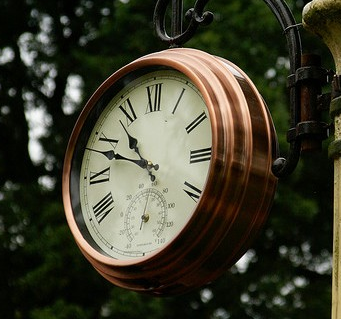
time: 10:48
